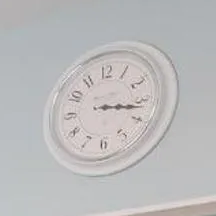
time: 3:17
